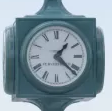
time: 1:22
